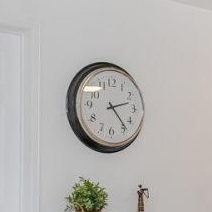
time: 2:23
